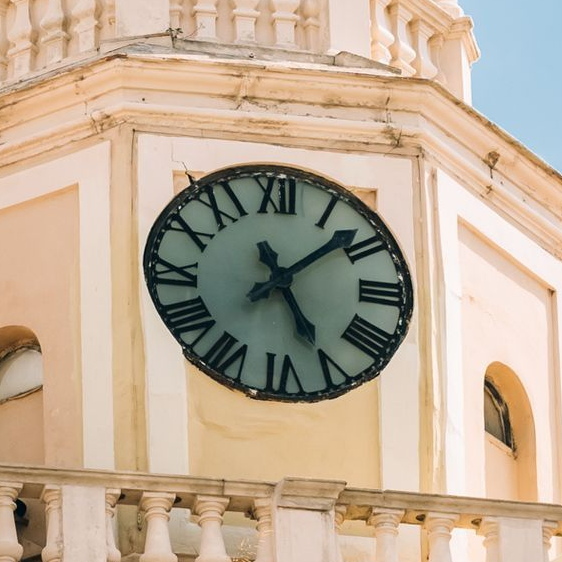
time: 5:08
